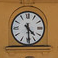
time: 4:29
